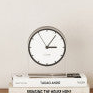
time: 3:05
